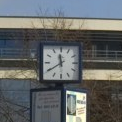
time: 11:39
